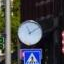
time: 11:09
